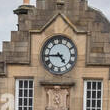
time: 4:44
